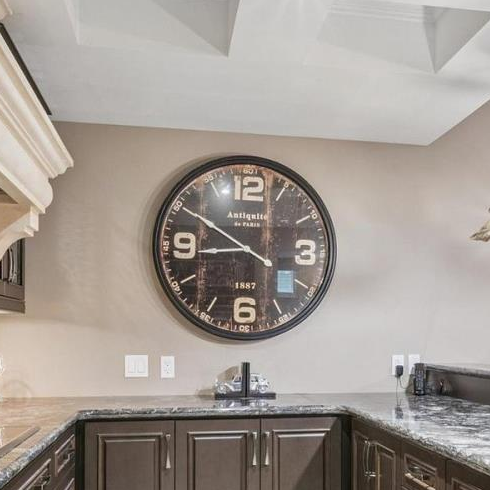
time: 8:50
